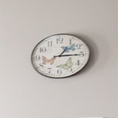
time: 1:14
